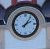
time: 2:06
